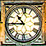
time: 10:45
